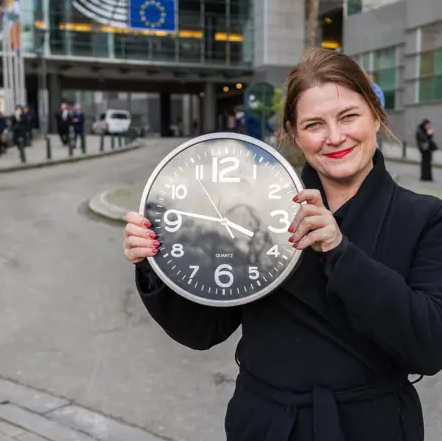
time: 3:46
